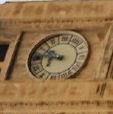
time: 9:45
